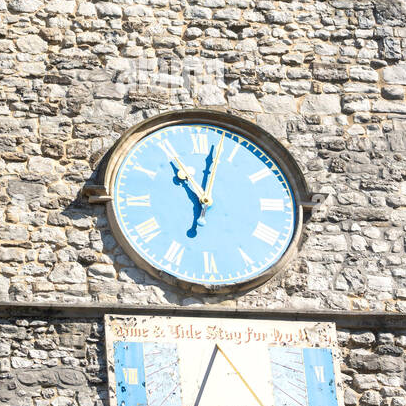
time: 11:02
